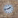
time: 1:42
